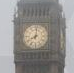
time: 8:01
